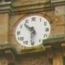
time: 10:30
